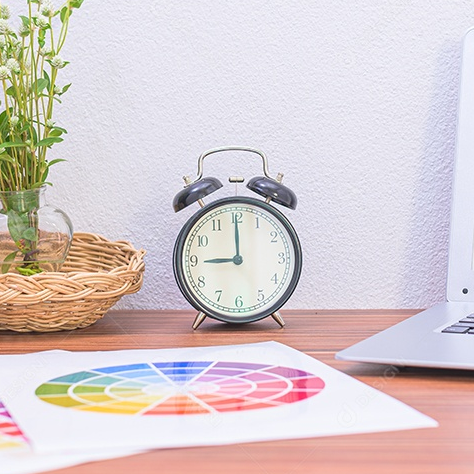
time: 9:00
